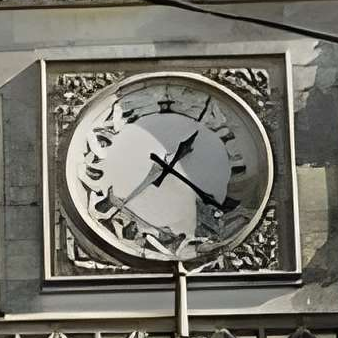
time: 1:21
